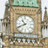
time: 10:41
